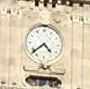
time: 4:38
